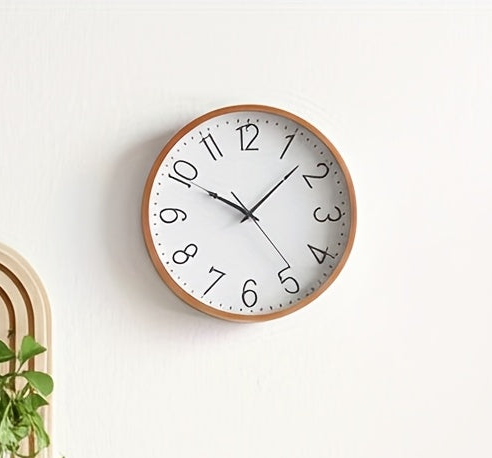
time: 10:07
